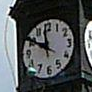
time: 11:50
